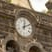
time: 12:10
